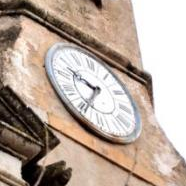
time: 9:34
